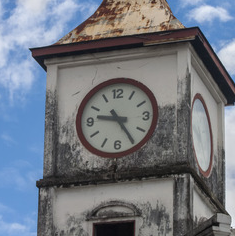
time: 9:24
